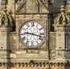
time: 9:17
